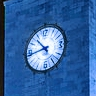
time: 10:43
